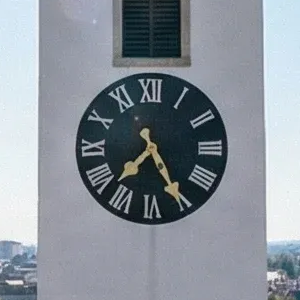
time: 7:25
